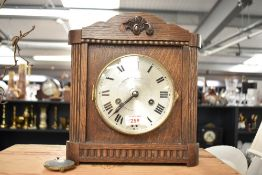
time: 7:37
